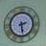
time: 2:28
